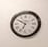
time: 6:50
